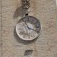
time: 11:18
